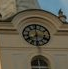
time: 5:59
